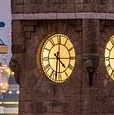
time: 4:31
